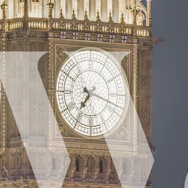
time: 7:18
